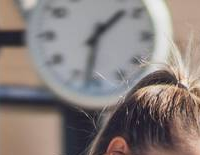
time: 1:32
